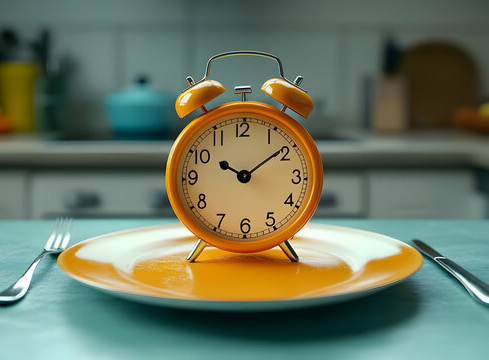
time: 10:09
